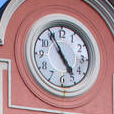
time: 4:55
